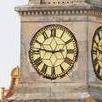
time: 2:46
